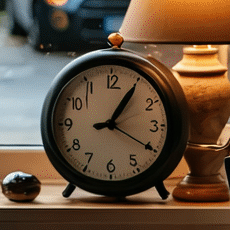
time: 1:05
